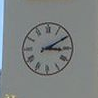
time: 3:09
